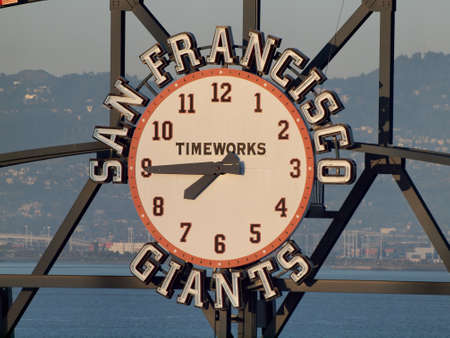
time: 7:44
